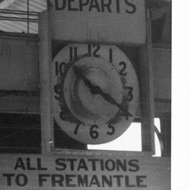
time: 10:20
